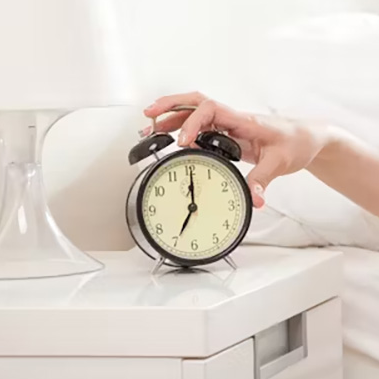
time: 7:00
